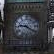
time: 9:20
